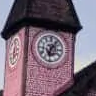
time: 6:06
